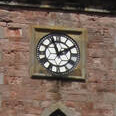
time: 1:56
